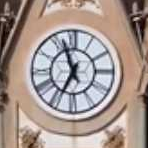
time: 6:56
